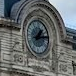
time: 1:13
